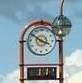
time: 3:50
